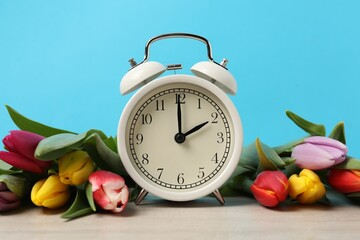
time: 2:00
